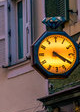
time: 4:20
